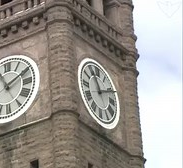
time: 11:11
